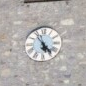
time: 5:23
